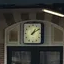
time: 1:09
